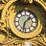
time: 1:32
